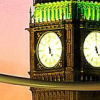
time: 4:59
